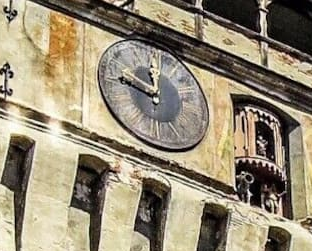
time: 11:46
